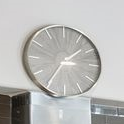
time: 1:35
